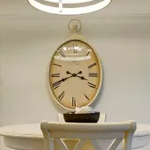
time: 3:41
